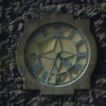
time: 4:33
